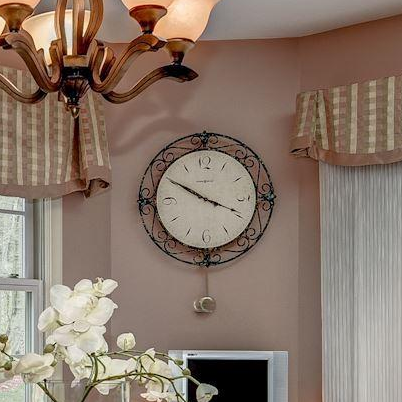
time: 3:50
